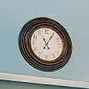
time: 11:05
